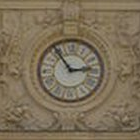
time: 2:54
